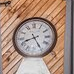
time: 8:24
